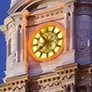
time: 10:39
